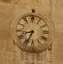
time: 8:34
